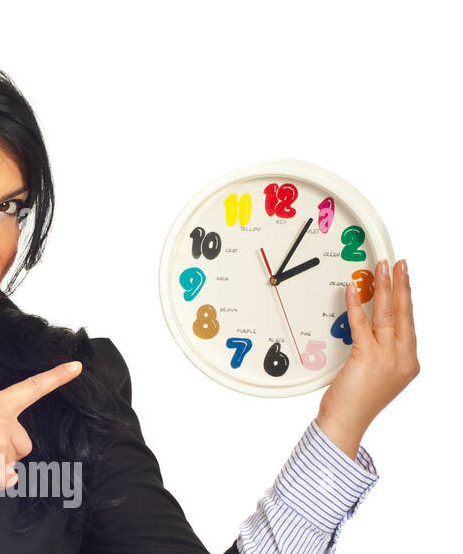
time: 2:04
